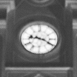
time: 9:20
